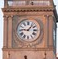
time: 9:07
